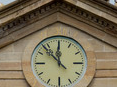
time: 11:52
